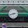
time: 2:42
